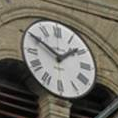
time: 1:50
